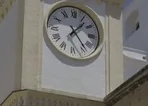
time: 1:23
